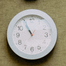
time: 10:55
